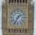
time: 1:34
